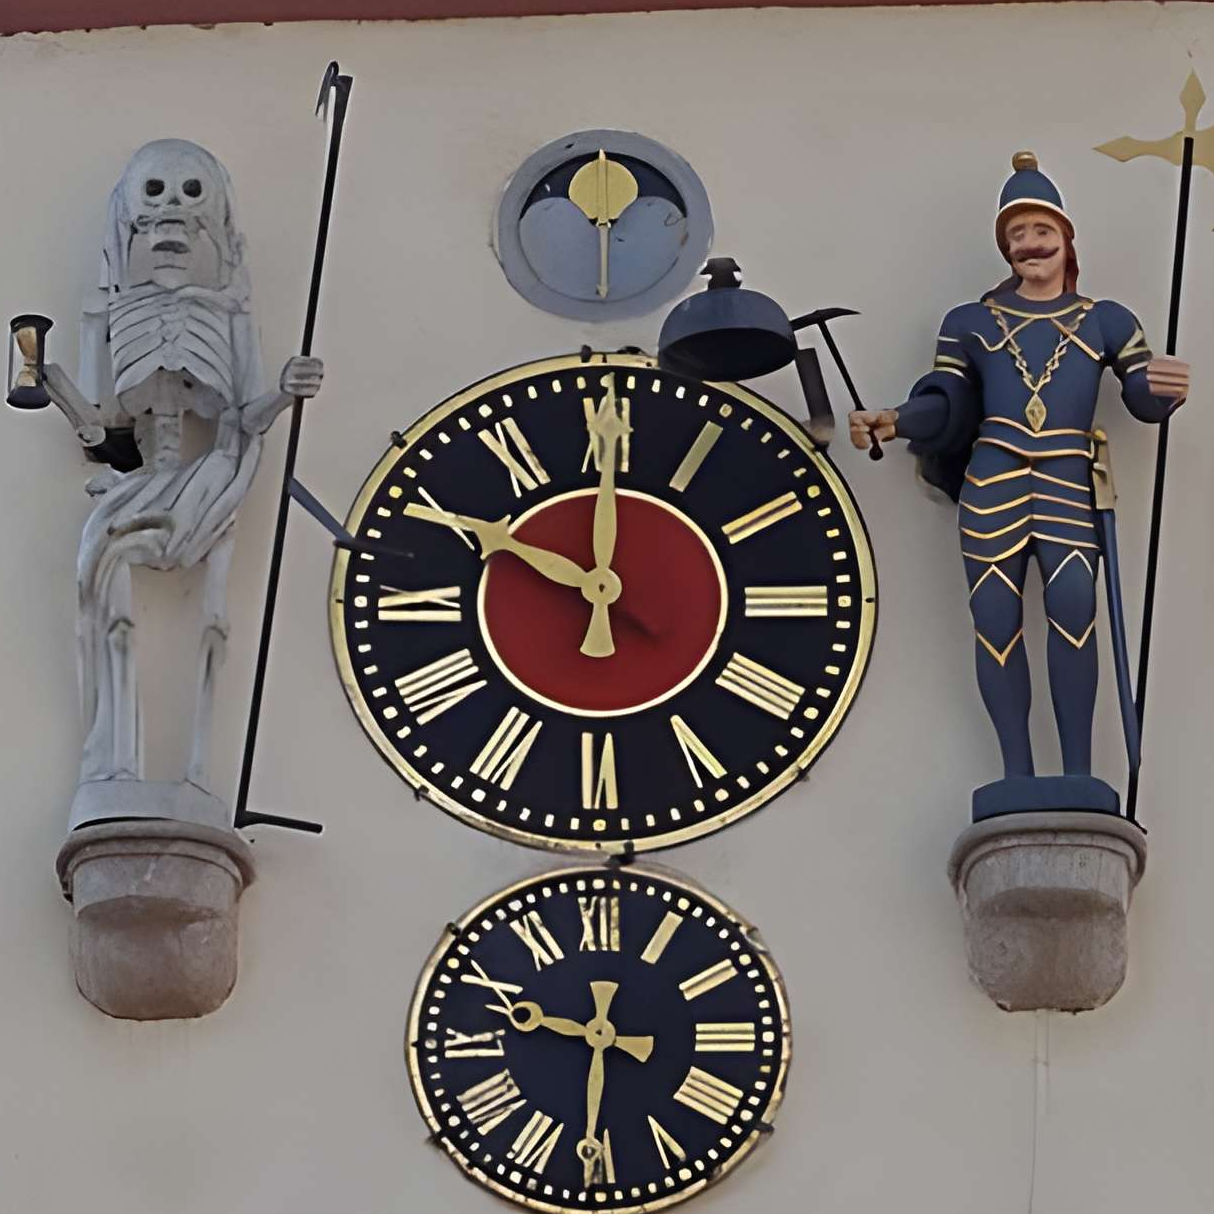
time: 10:00
